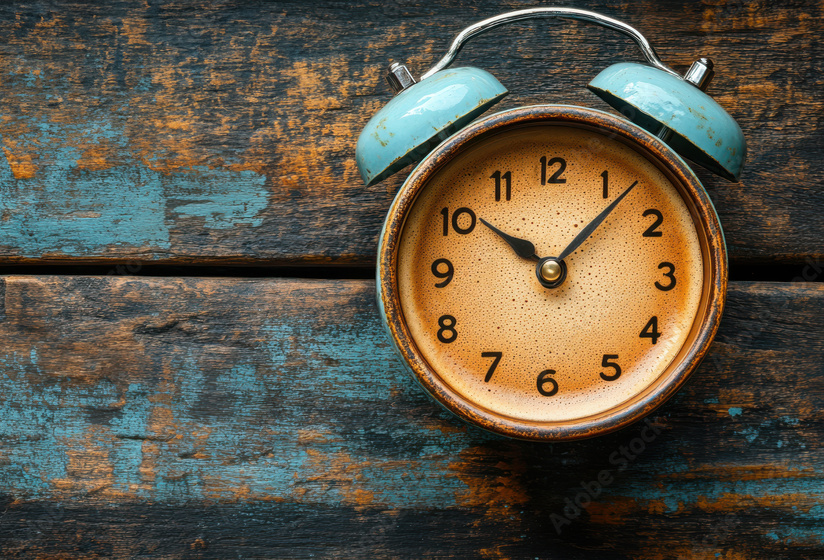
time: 10:07
